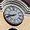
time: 8:41
